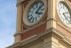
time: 4:07
